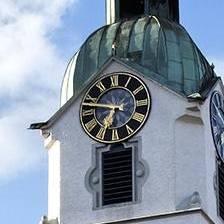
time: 6:47
